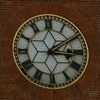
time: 3:09
